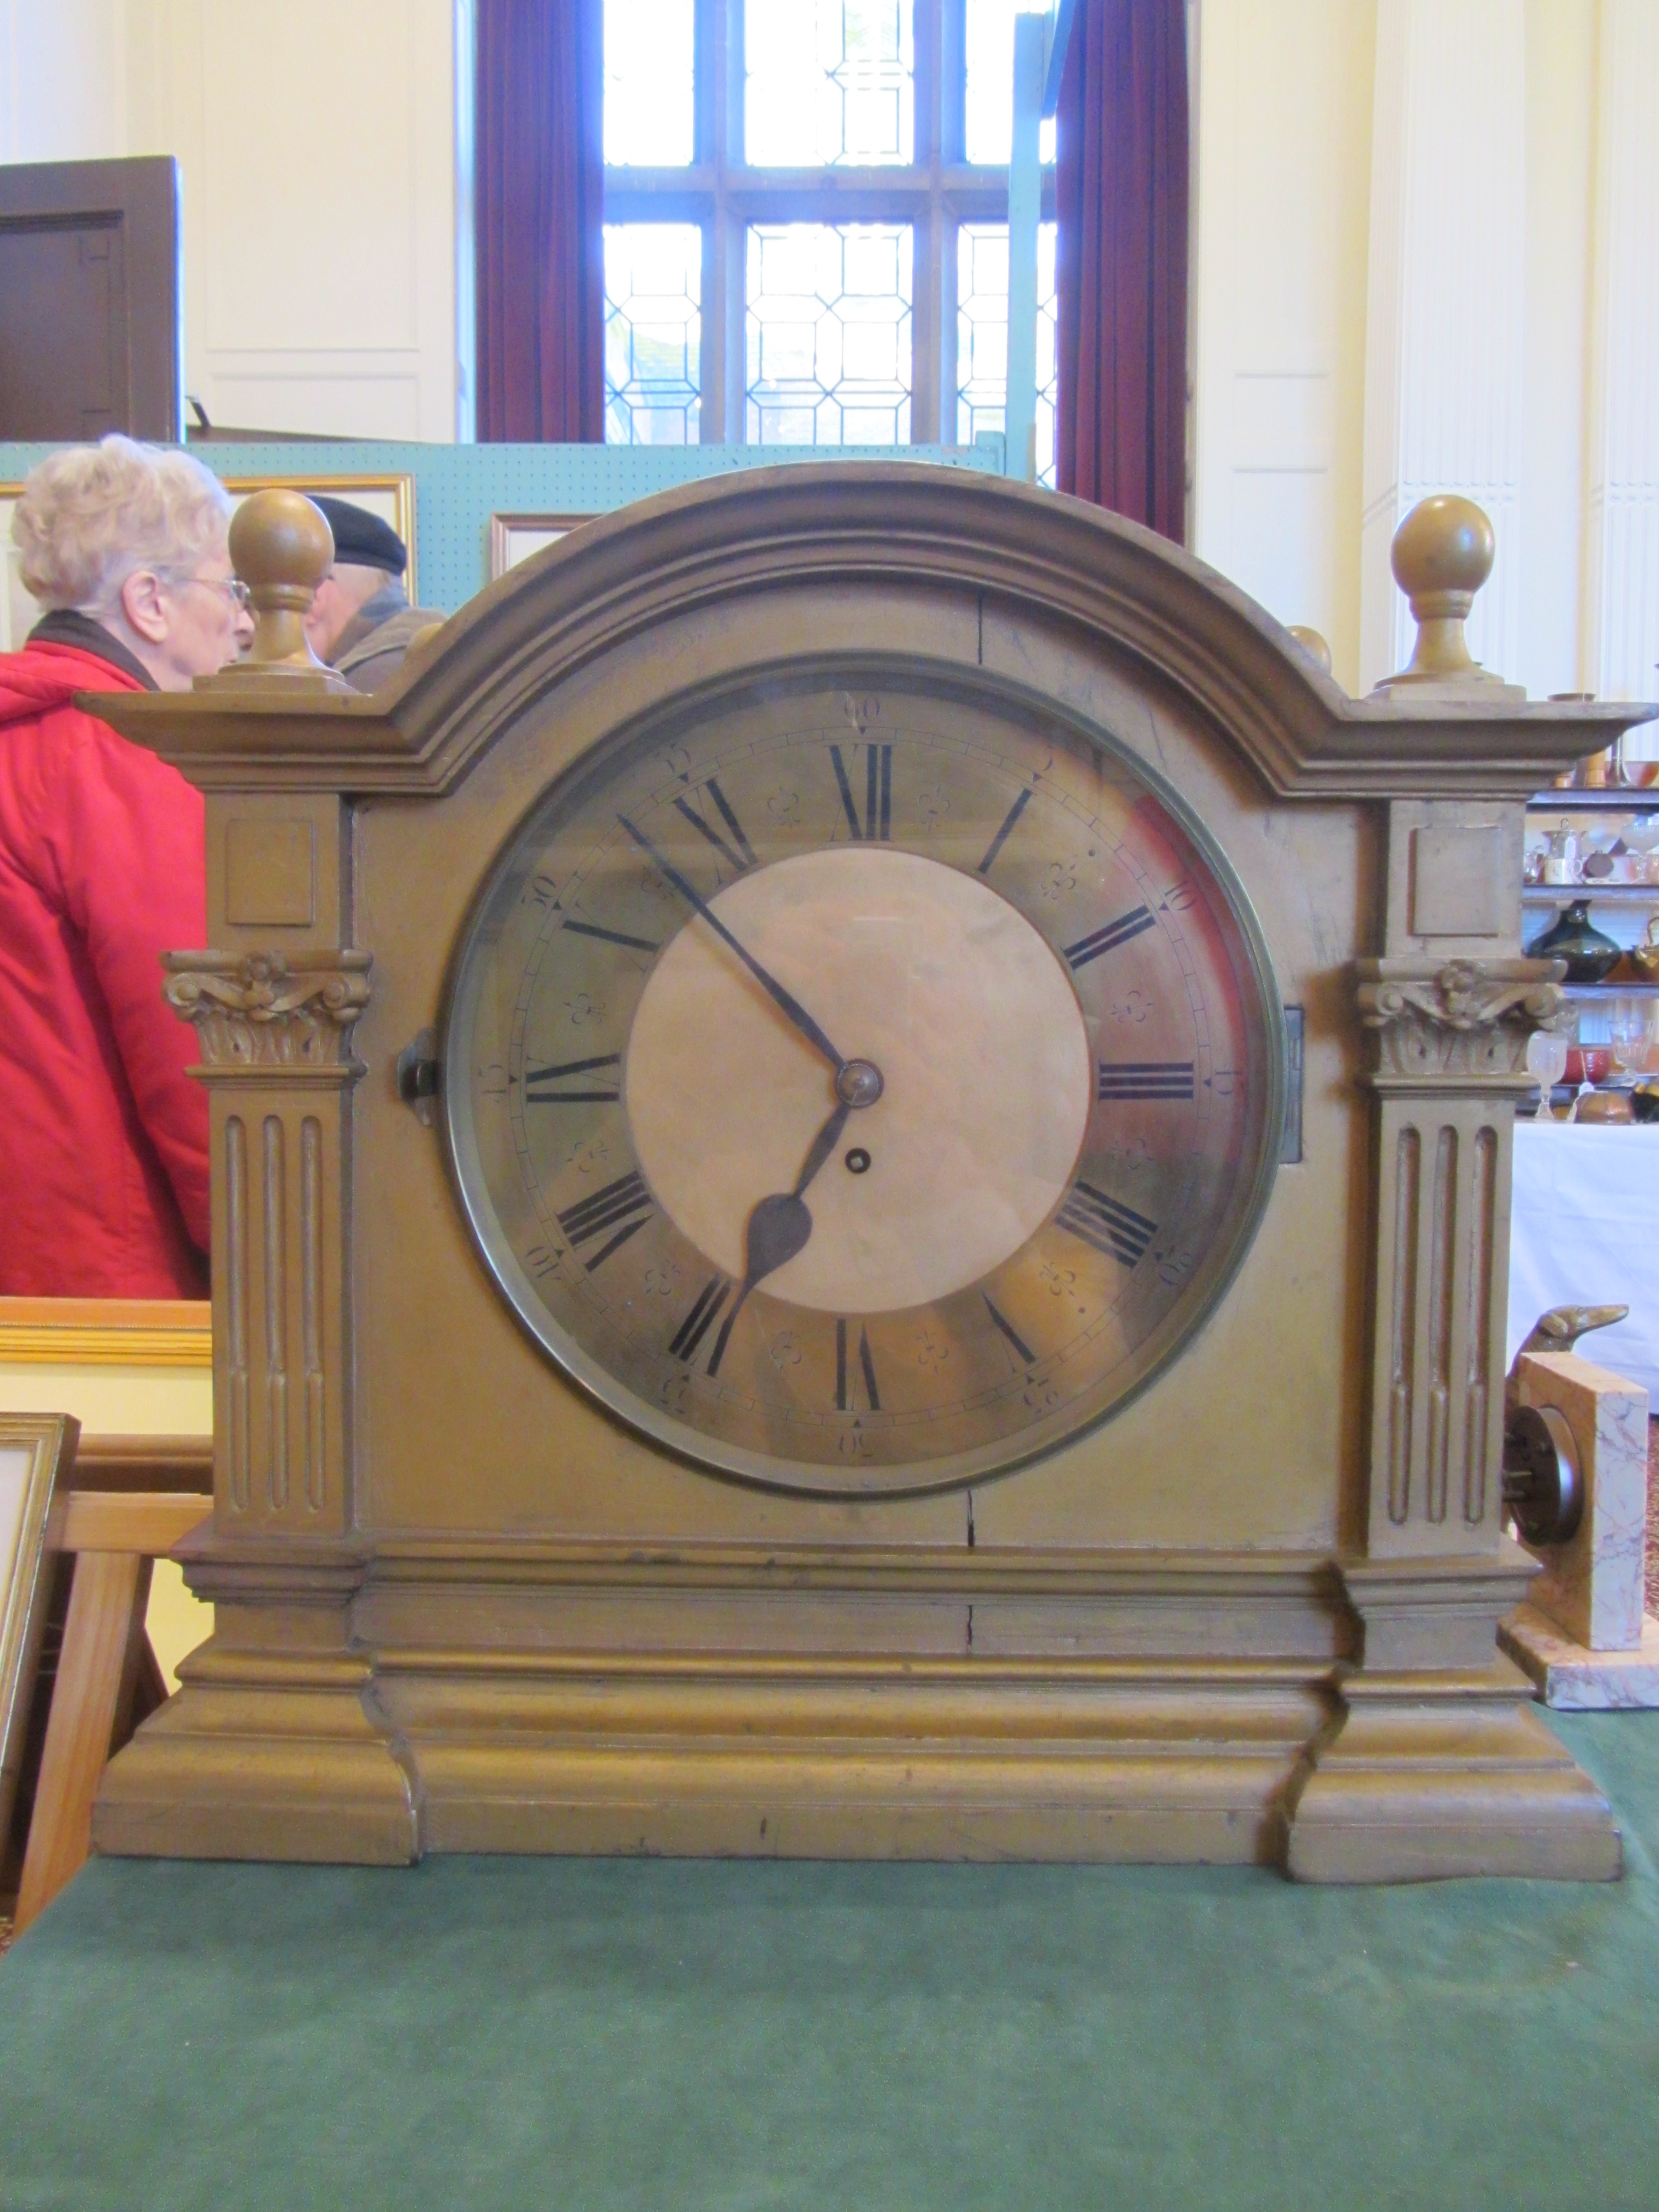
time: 6:53
